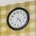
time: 4:35
